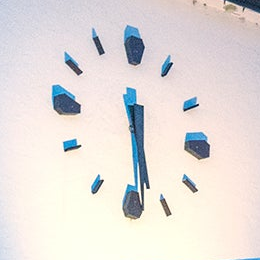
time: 5:29
